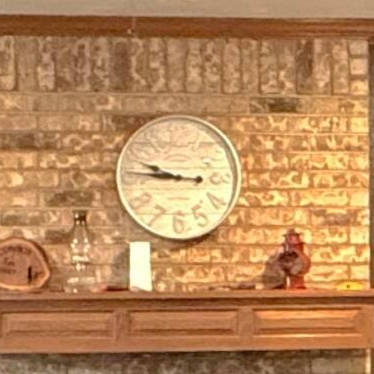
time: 9:45
